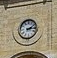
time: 2:15
